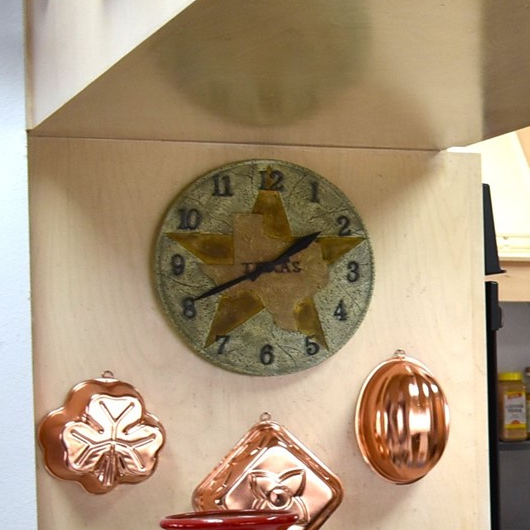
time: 1:40
